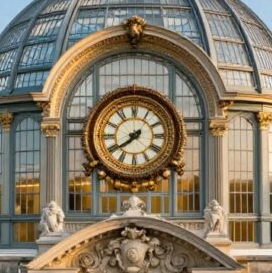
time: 7:39
